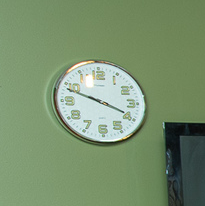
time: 3:48
